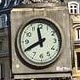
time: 11:40
